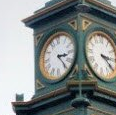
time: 3:23
